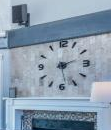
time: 2:28
